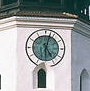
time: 5:02
